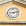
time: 9:12
